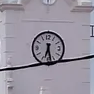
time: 6:28
